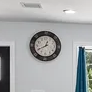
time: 12:40
